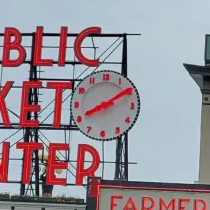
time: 8:09
